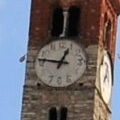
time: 12:46
